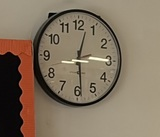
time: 12:28
